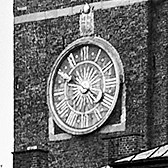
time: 3:48
